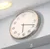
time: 6:18
